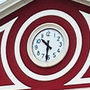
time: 10:31
